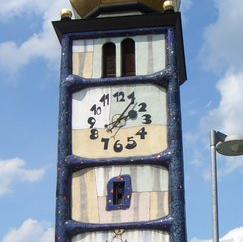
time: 2:06
